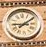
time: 9:09
